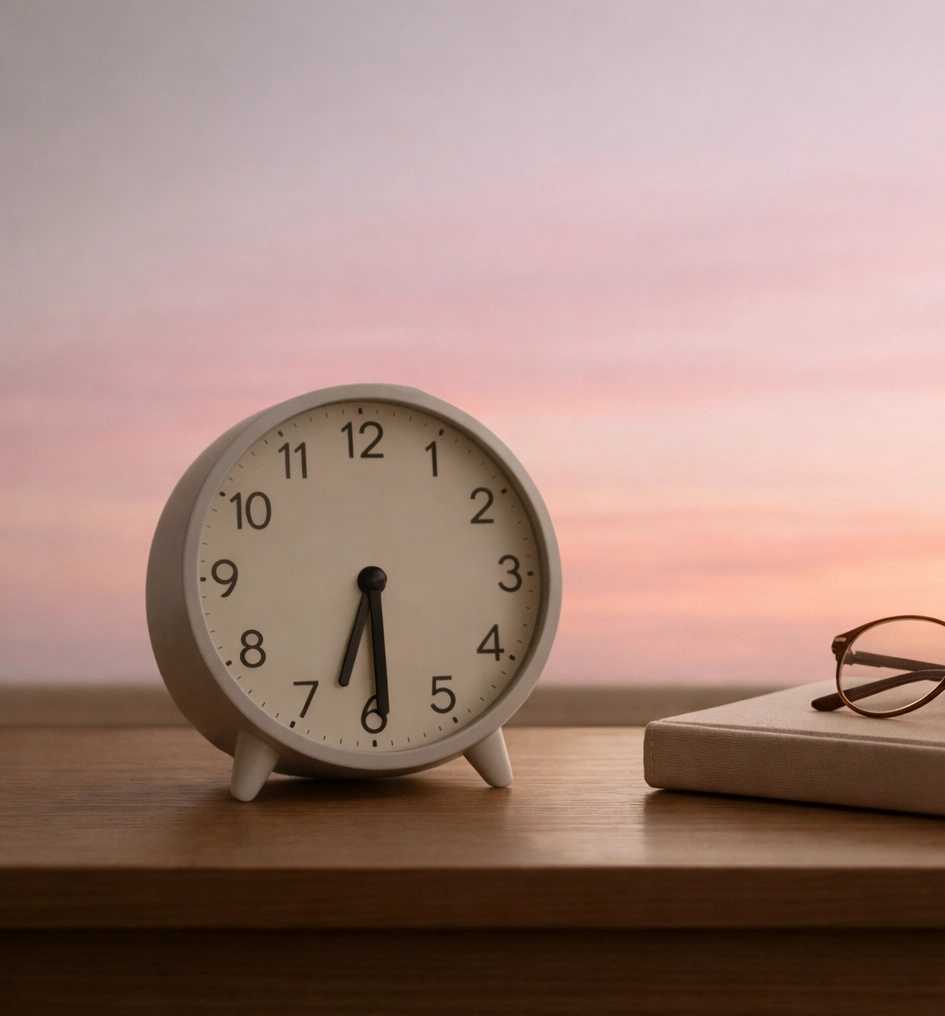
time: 6:29
